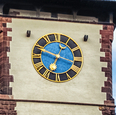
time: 6:48
